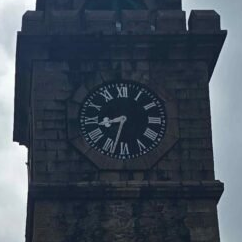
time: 8:33
